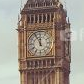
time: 11:55
